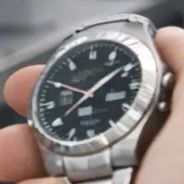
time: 1:50
